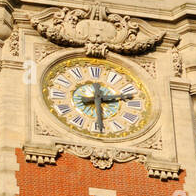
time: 2:29
